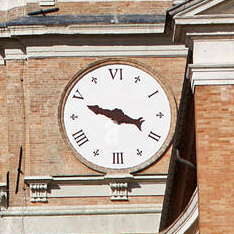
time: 3:48
